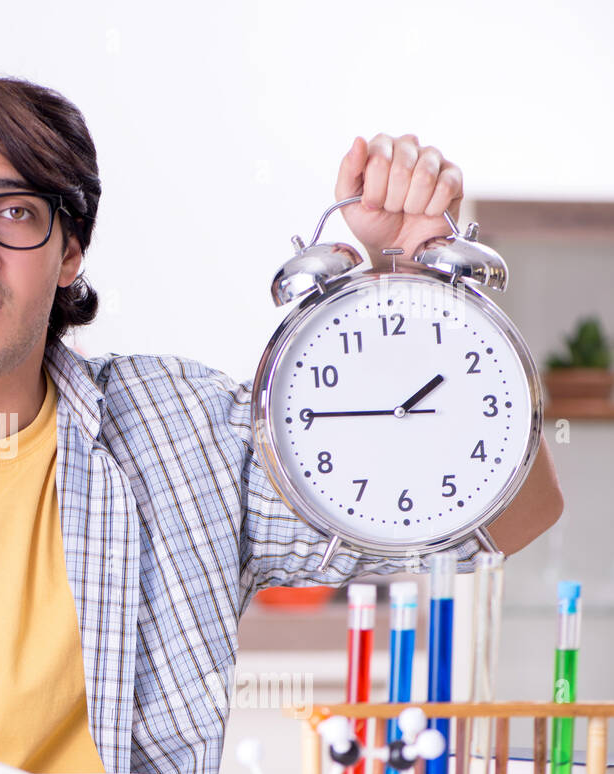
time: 1:45
